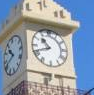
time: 10:41
